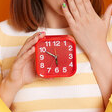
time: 5:49
